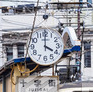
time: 4:00
